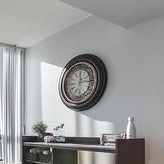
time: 12:14
